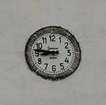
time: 8:46
